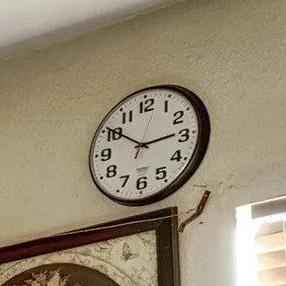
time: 2:50
